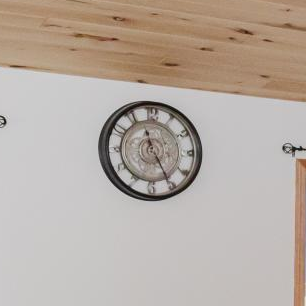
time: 11:25
